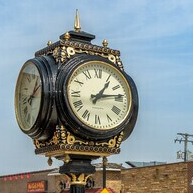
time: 1:13
